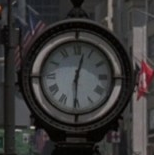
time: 12:30
